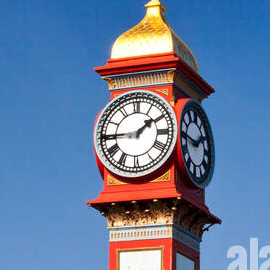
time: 1:44
